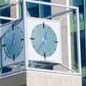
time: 12:36
